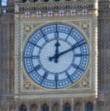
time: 12:11
